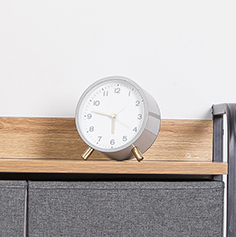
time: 5:47
